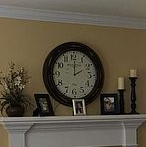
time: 2:00
